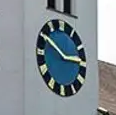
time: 2:50
